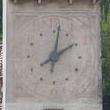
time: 2:01
